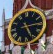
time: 5:14
